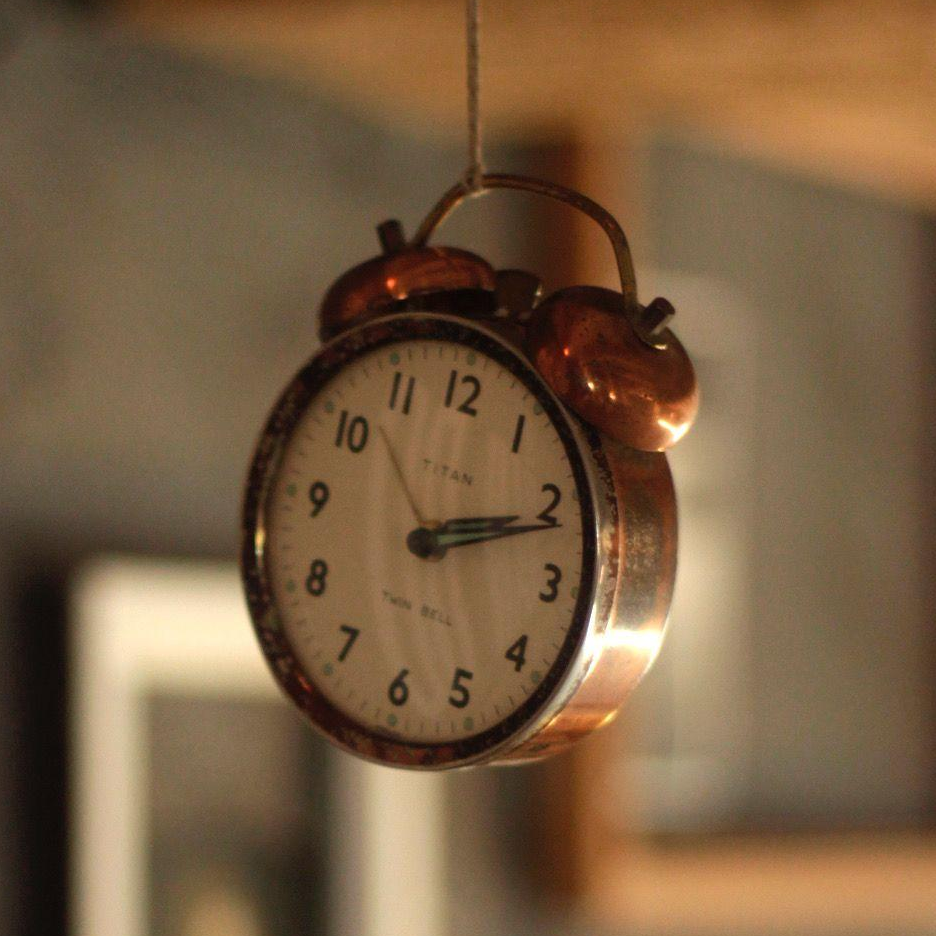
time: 2:11
